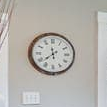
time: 11:38
